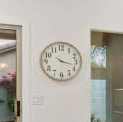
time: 10:17
